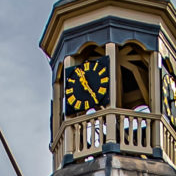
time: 11:24
